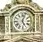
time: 5:03
